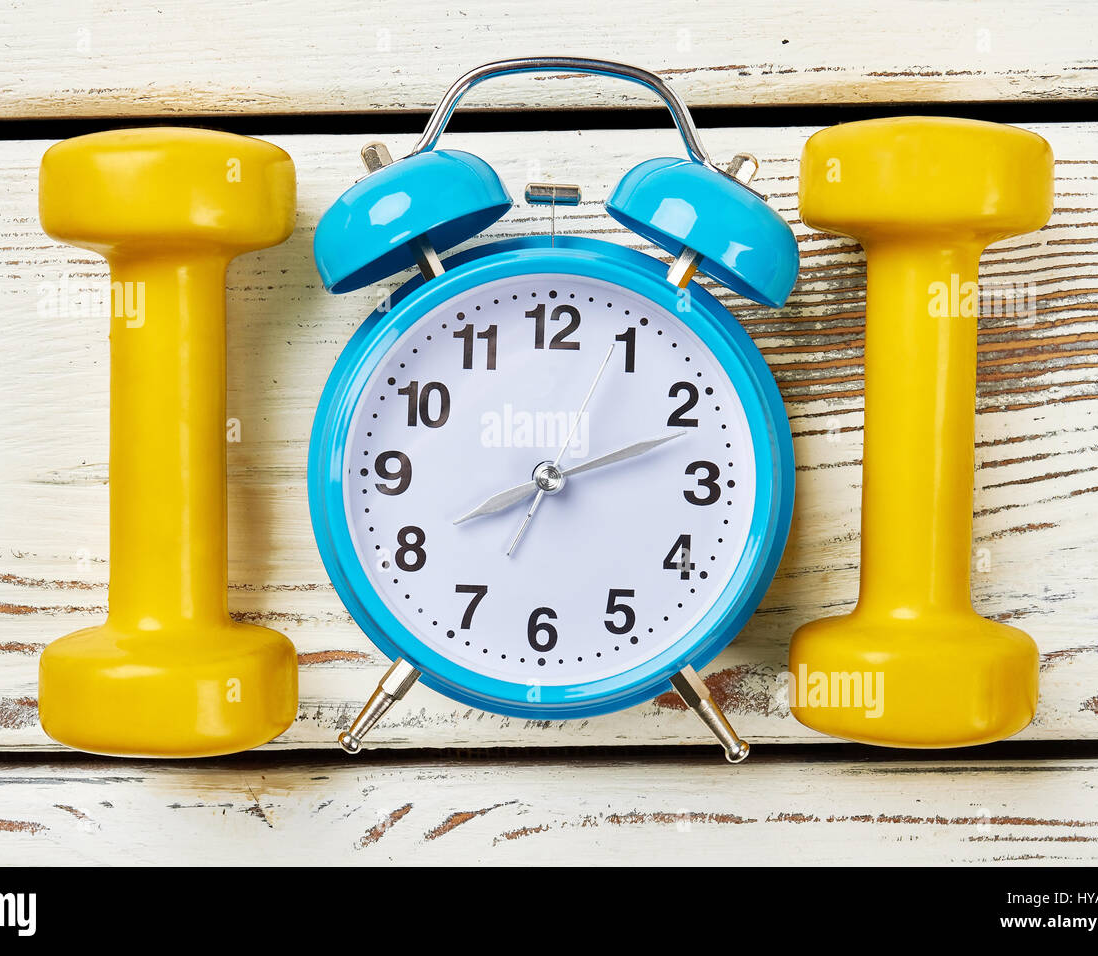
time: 8:11
